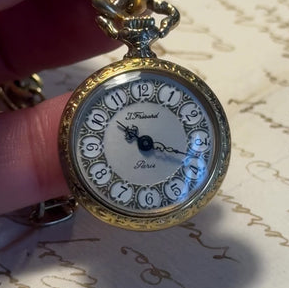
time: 10:18
